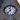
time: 11:37
